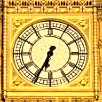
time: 6:34
